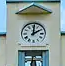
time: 2:00
